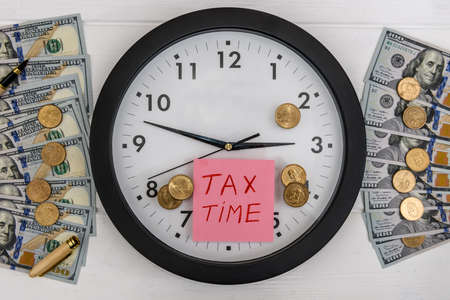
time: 2:47
